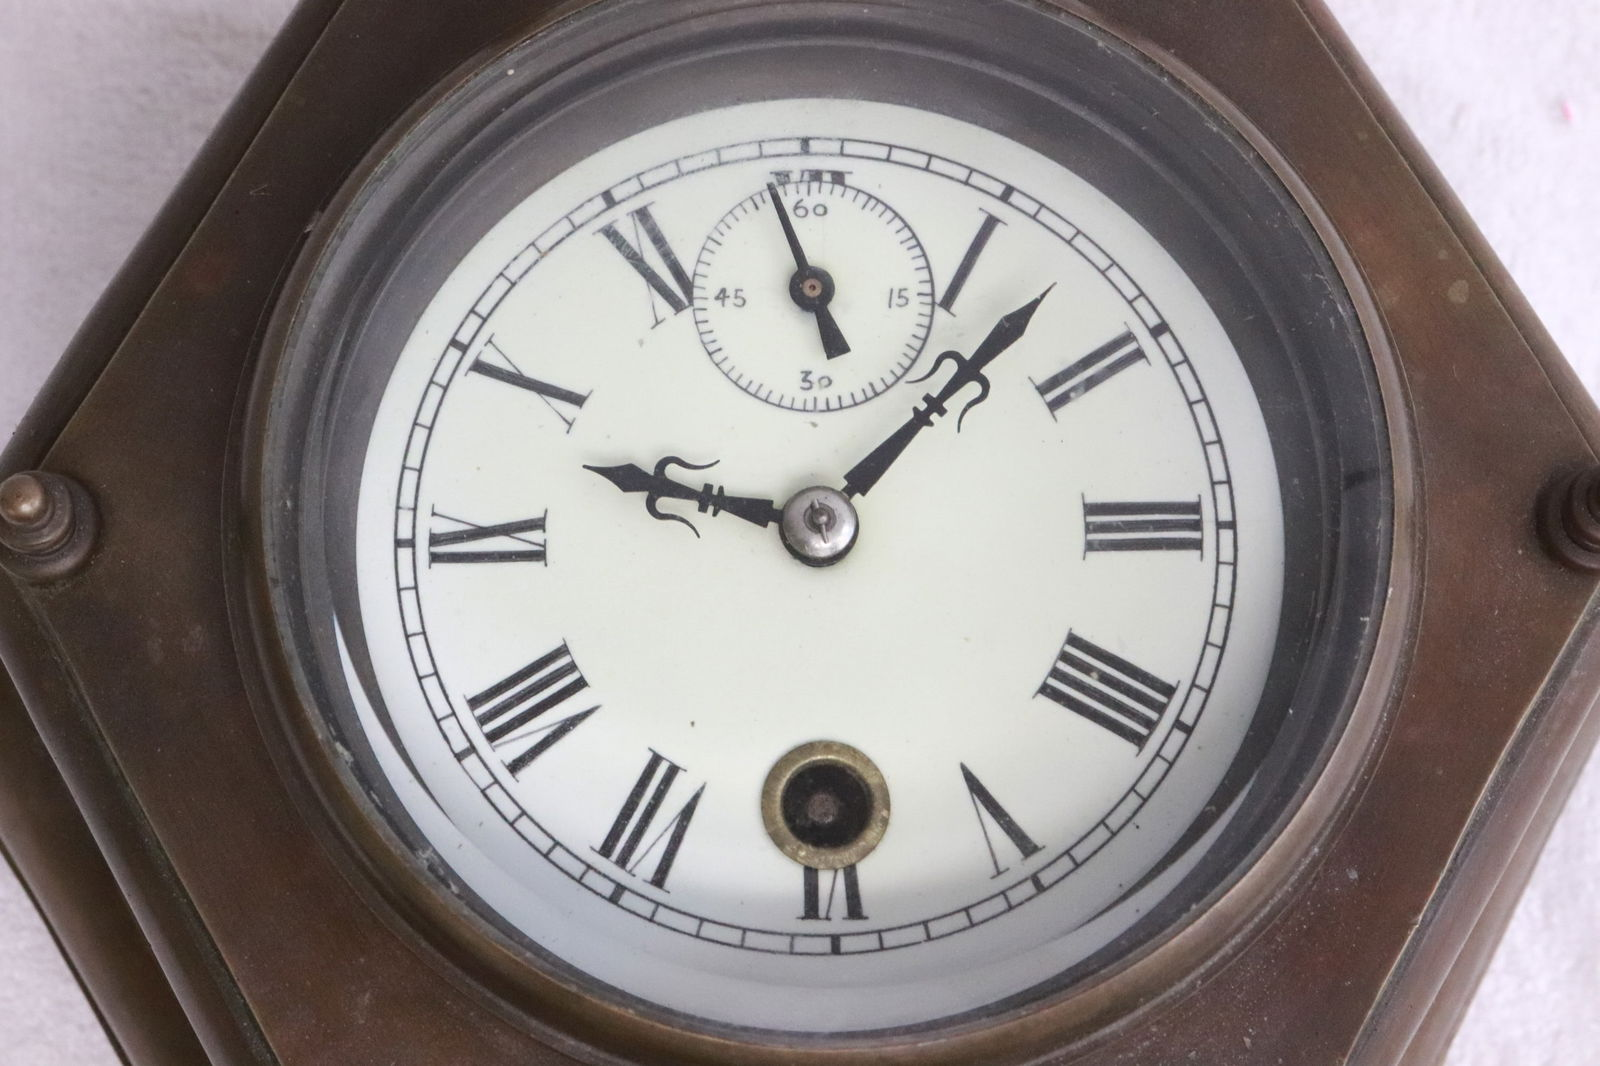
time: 9:07
